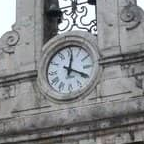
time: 12:19
